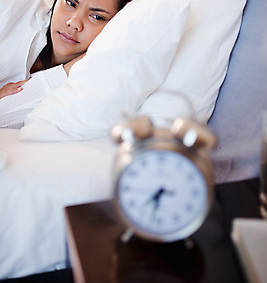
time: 7:32
